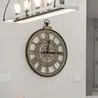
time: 12:14
